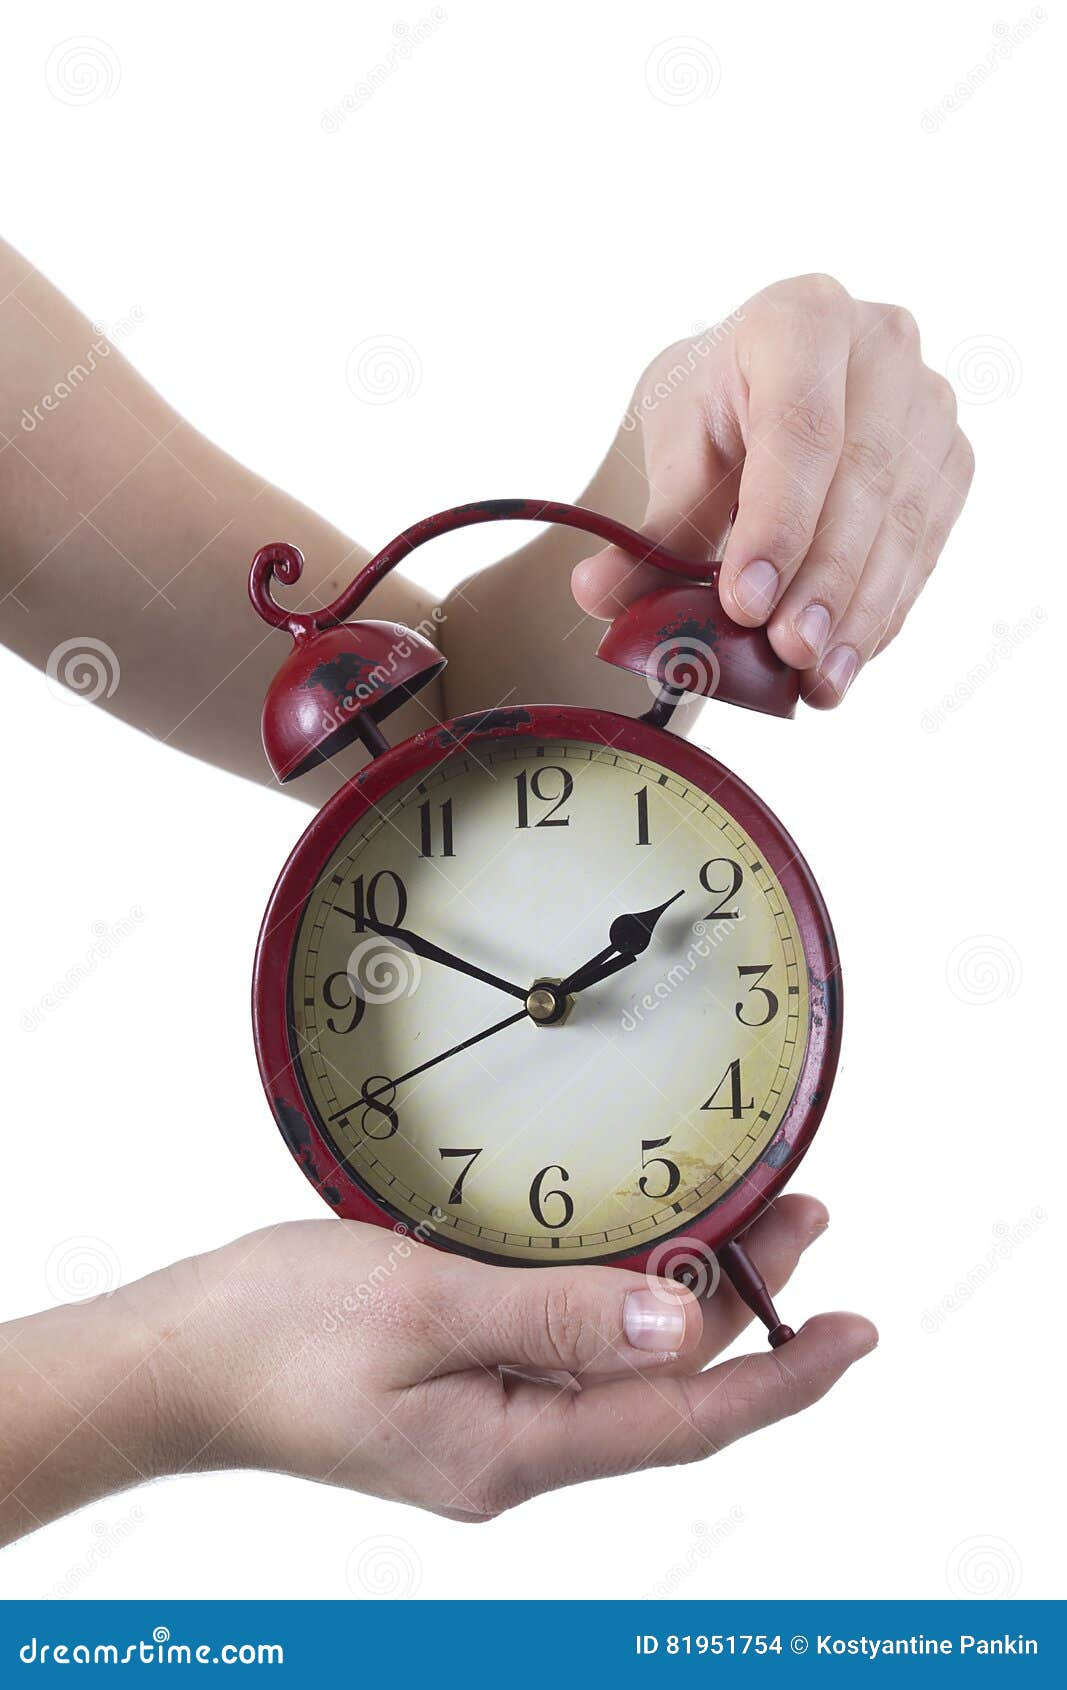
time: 1:49
